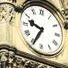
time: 9:34
